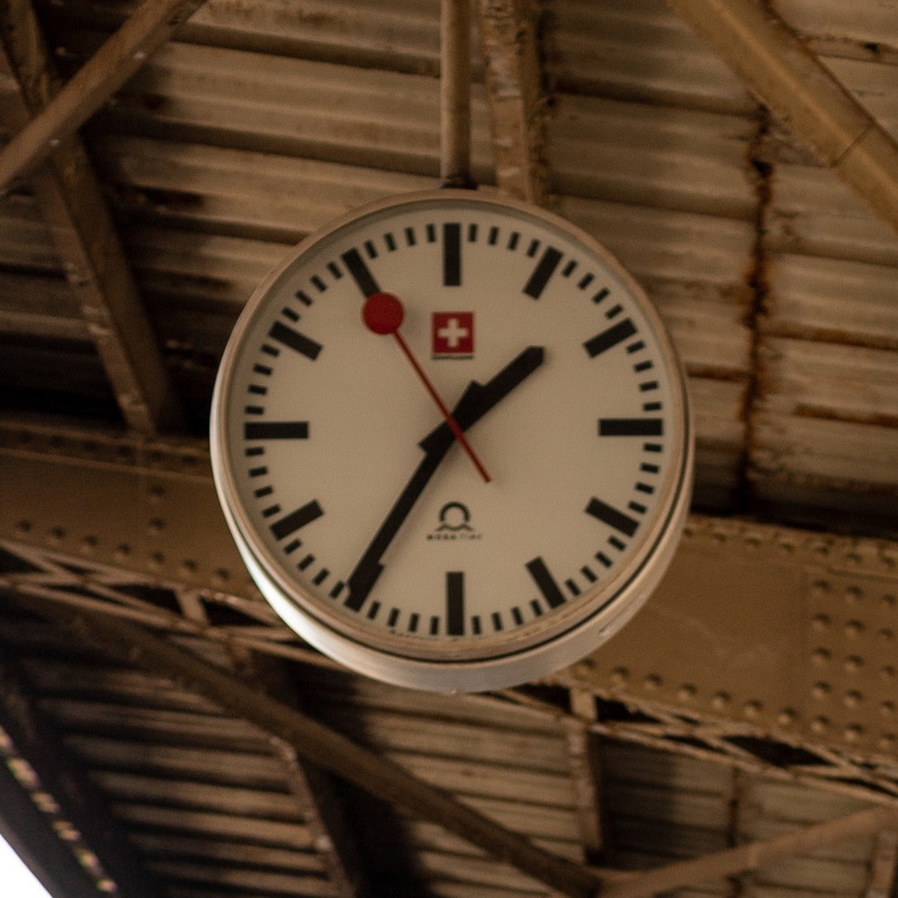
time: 1:35
